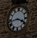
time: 3:43
